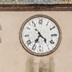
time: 4:35
